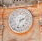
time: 2:33
